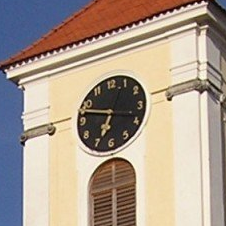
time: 6:47
